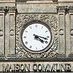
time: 4:17
